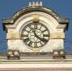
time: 11:21
